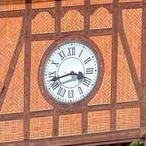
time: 3:42
